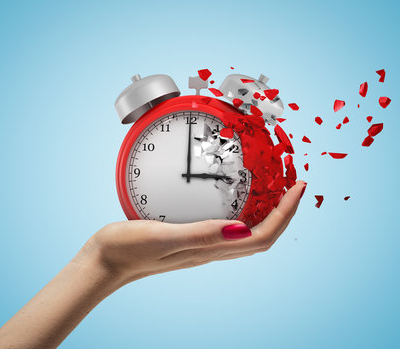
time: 3:00
